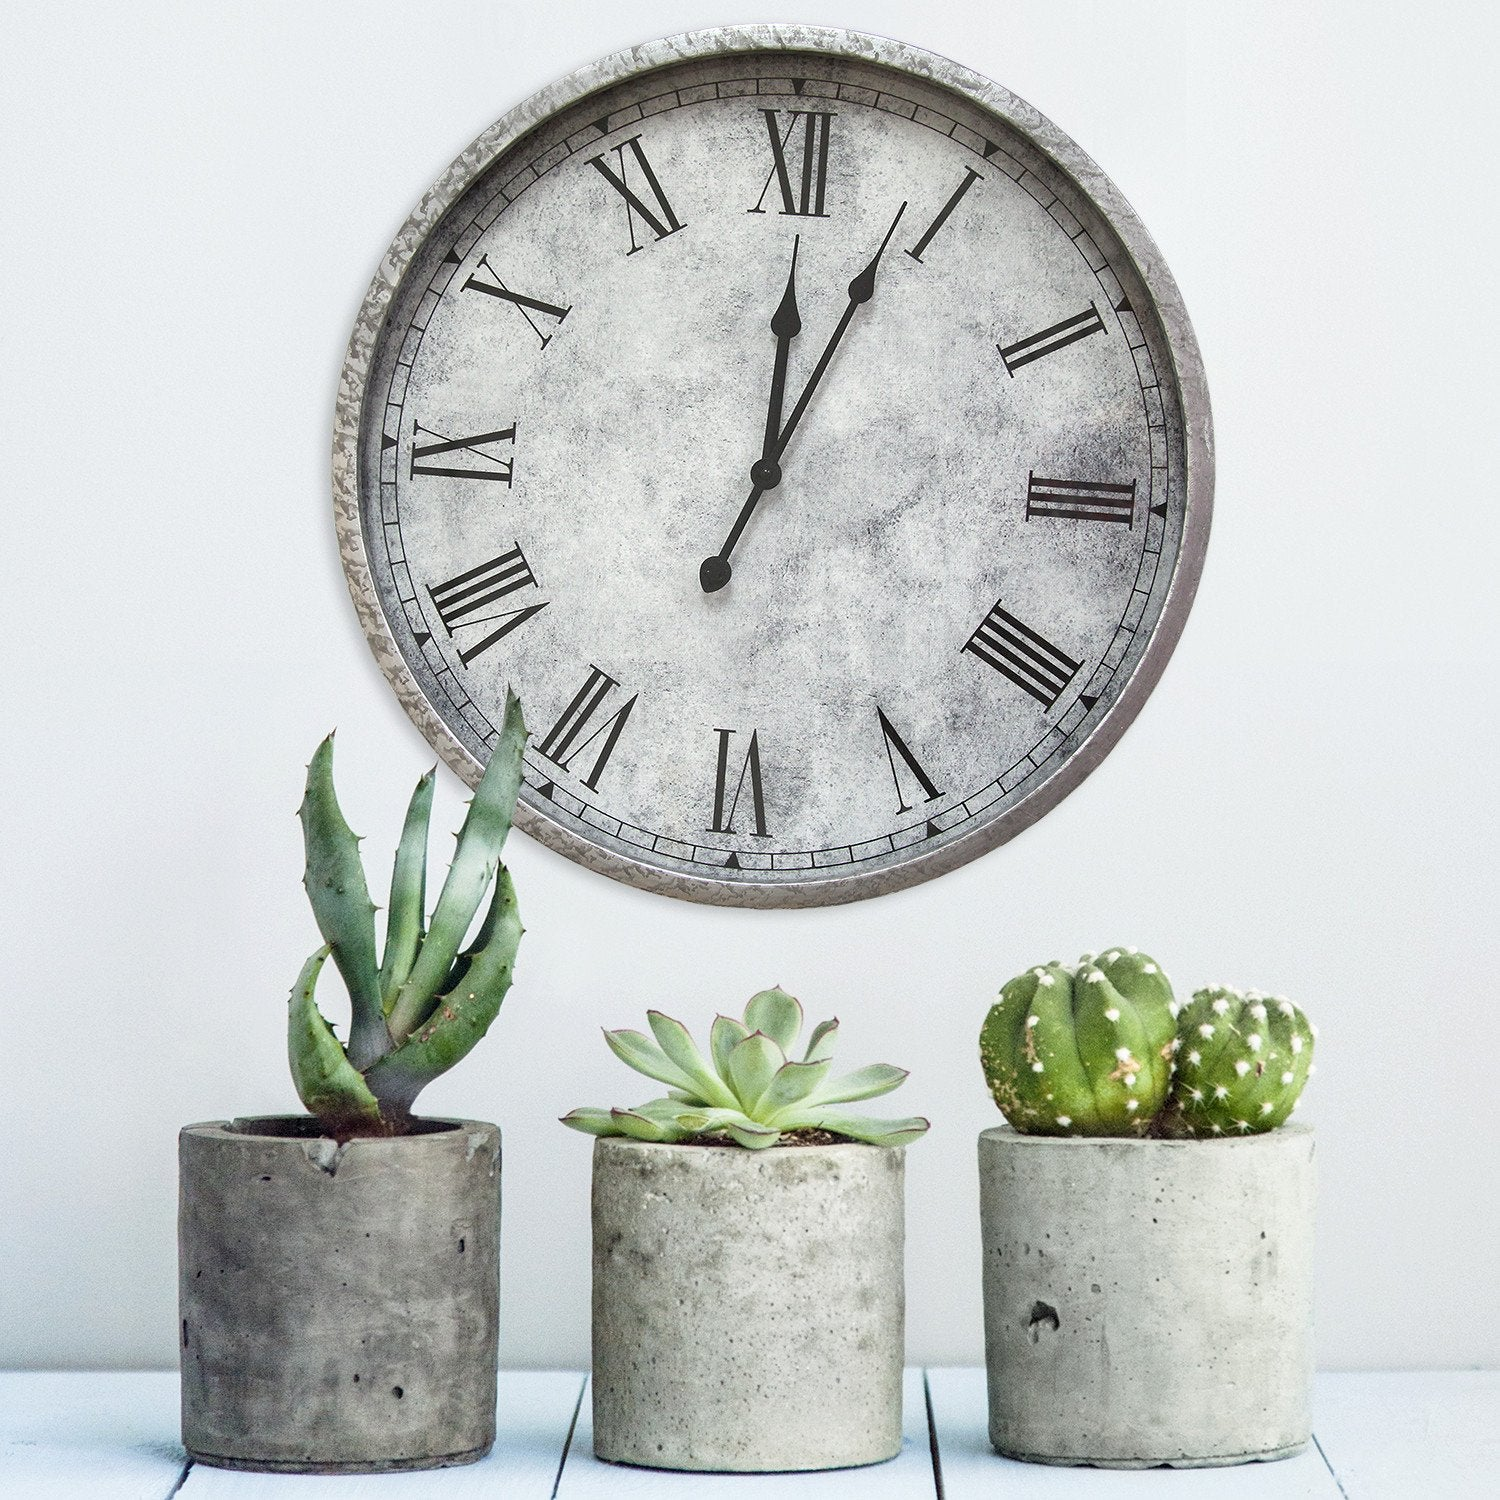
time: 12:03
